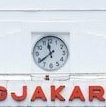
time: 11:38
